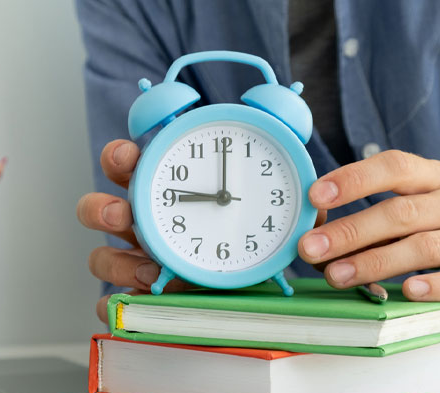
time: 9:00
